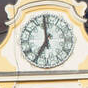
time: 6:59
